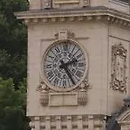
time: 2:24
